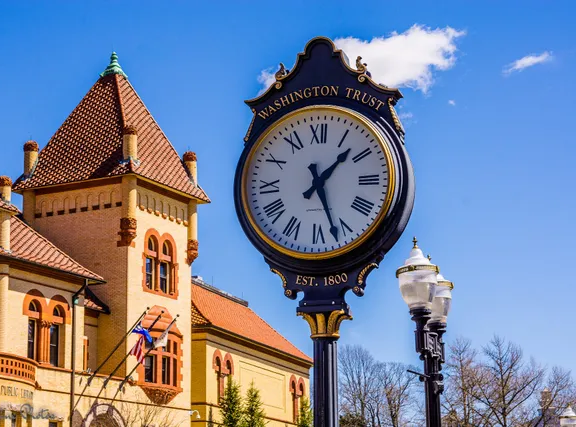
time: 1:26
